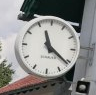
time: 11:21
